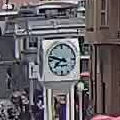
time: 7:47
